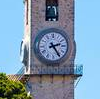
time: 2:24
